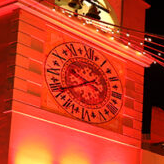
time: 9:40
